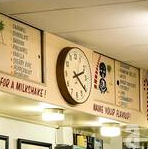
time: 2:21
